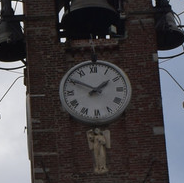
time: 1:49
